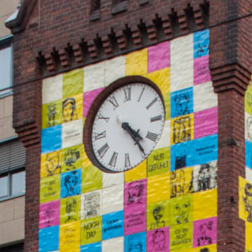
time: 4:24
